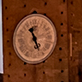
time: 11:26
